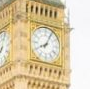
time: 8:04
